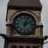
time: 2:03
